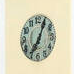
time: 7:04
